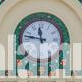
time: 11:47
